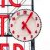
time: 5:05
